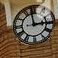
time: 2:58
